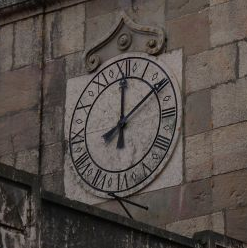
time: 12:09
